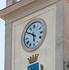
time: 5:50
